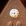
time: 8:27
